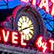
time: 8:11
